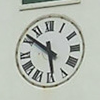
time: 5:51
